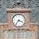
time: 3:36
